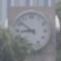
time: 8:52
